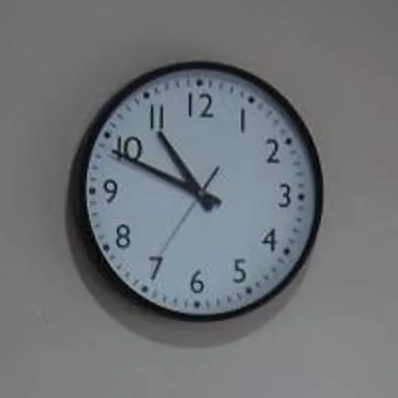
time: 10:48
